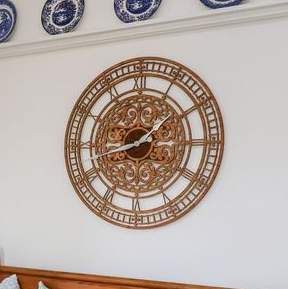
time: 1:42
